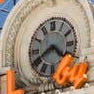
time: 4:40
